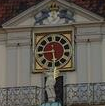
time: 5:44
